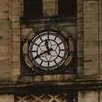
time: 11:40
